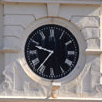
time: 9:36
